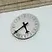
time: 5:38
